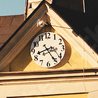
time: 8:24
